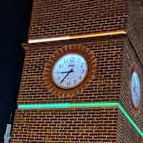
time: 8:36
